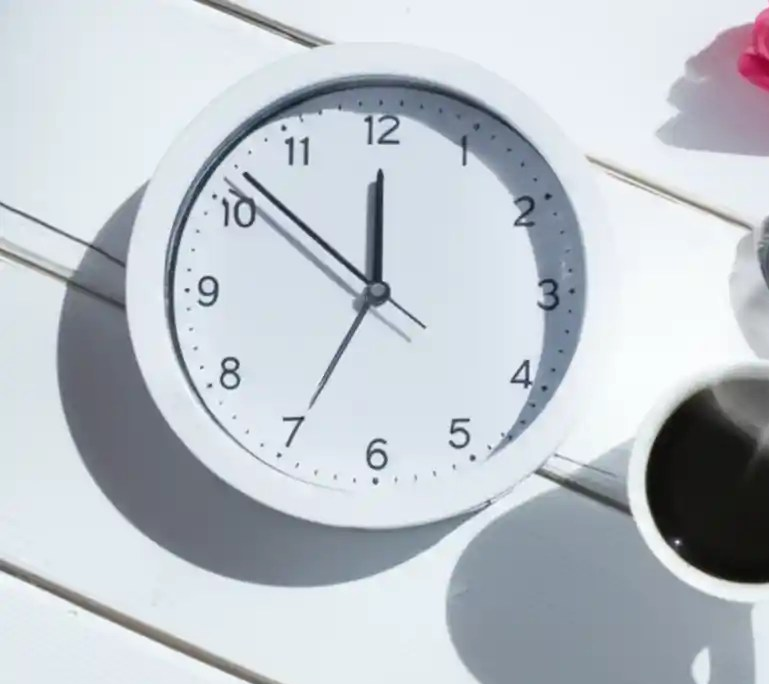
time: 11:51
